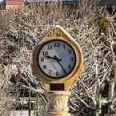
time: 9:24
